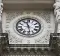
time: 11:28
